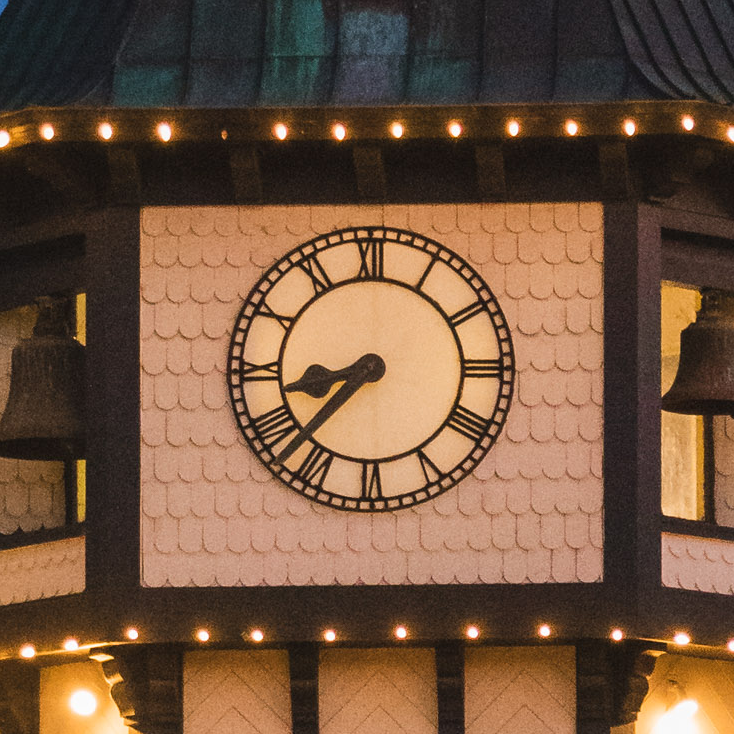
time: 8:37
